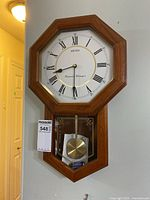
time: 8:30
